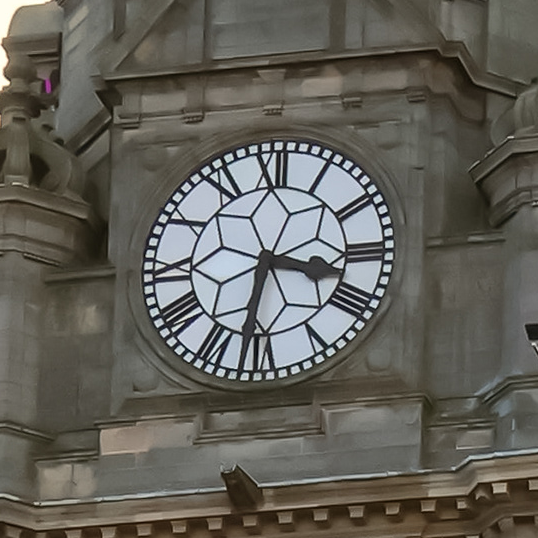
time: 3:32
